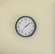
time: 1:36
